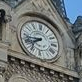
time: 7:43
